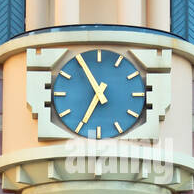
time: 6:55
